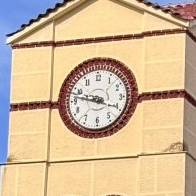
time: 3:47
